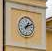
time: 1:11
